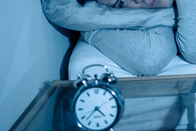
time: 4:37
